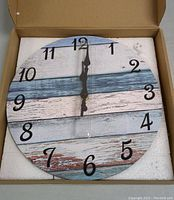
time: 12:01
